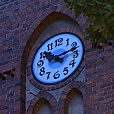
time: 10:12
